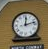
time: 12:12
